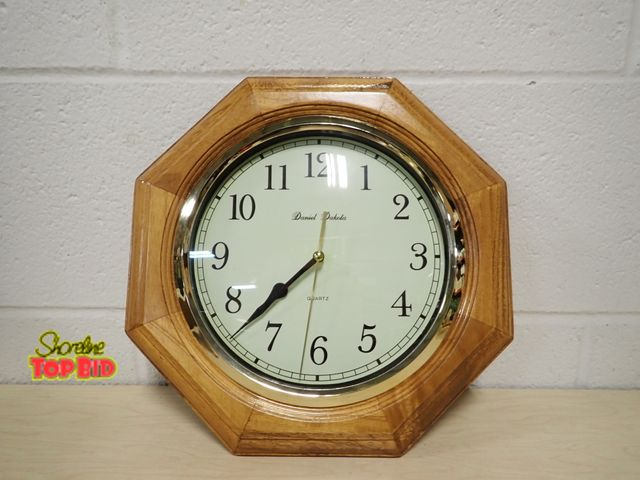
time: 7:37
